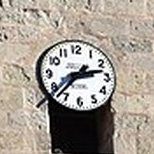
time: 2:37
